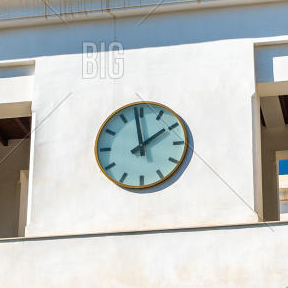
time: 1:58
